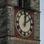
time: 12:09
